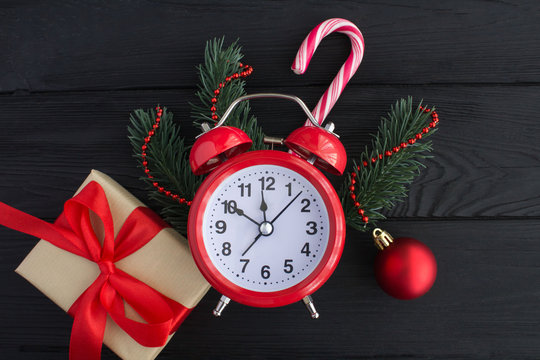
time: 11:50
